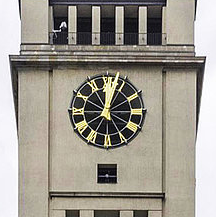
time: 12:02
